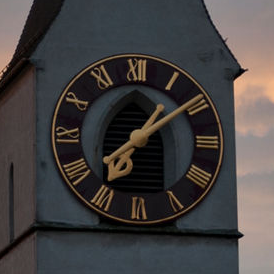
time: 1:37
